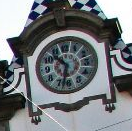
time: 10:32
